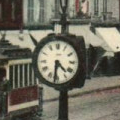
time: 4:31
